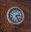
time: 2:24
